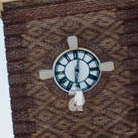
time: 6:01
